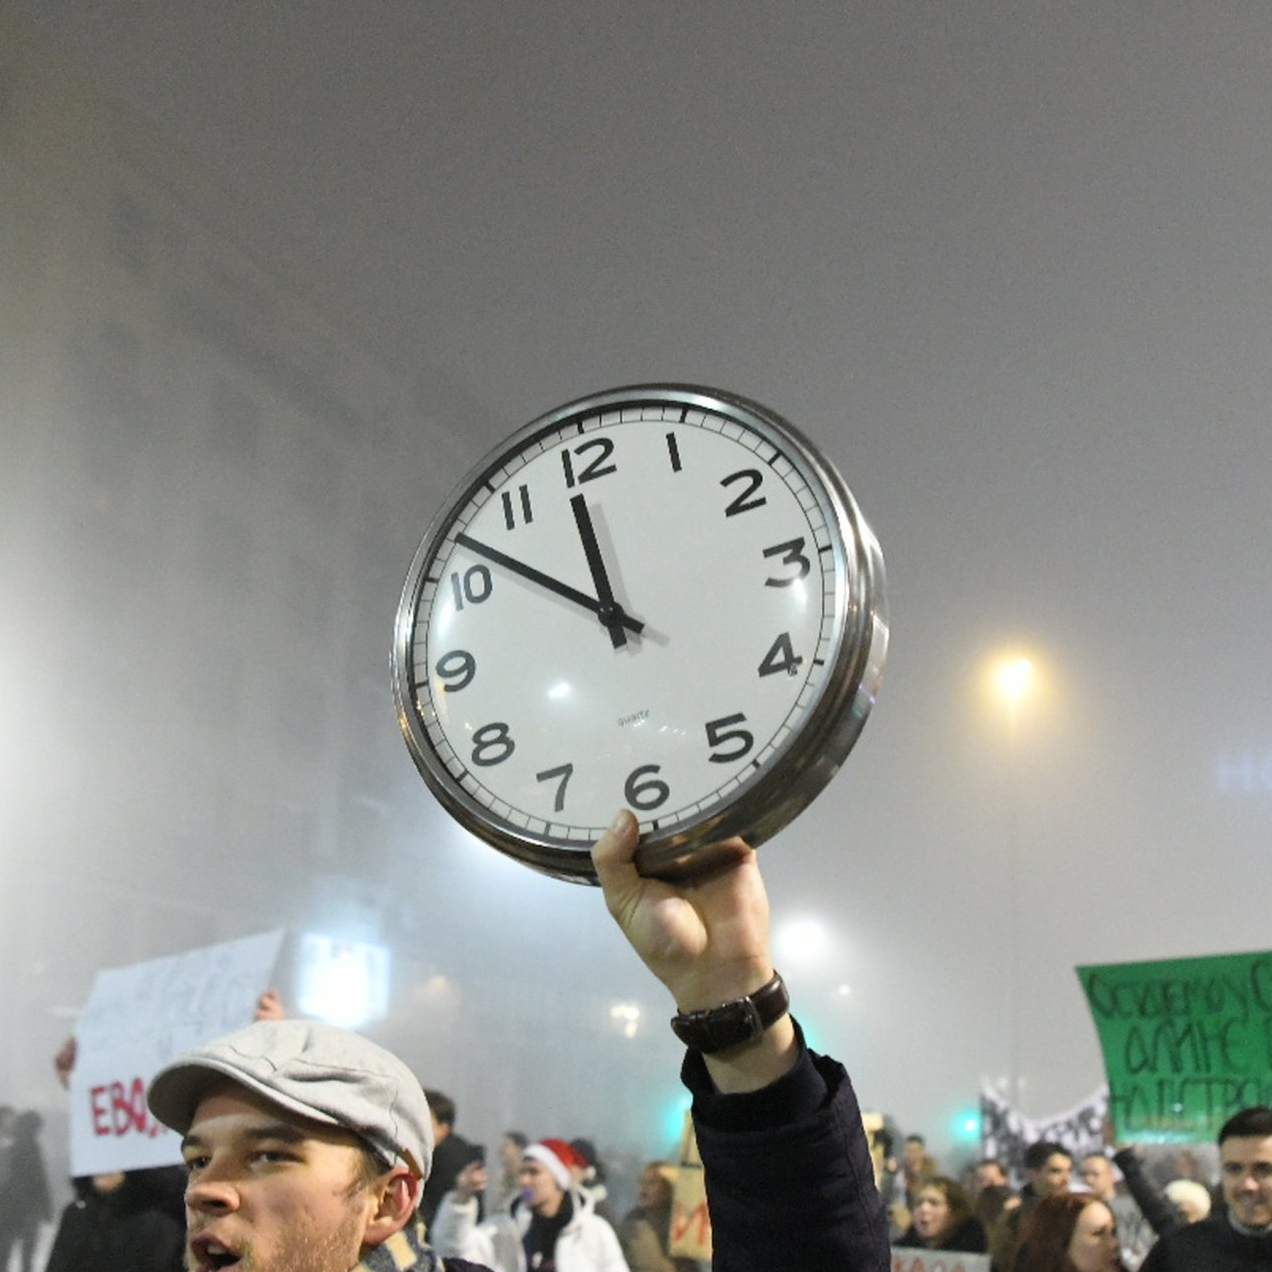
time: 11:51
